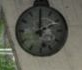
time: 2:00
